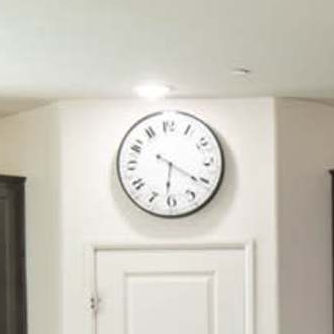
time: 6:20
